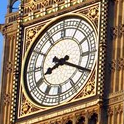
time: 8:19
